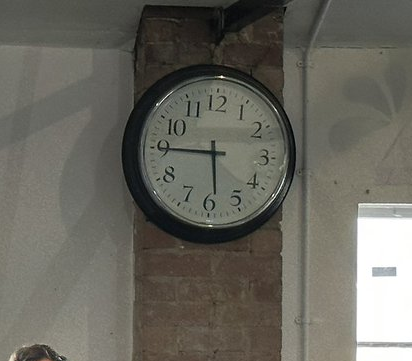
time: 5:45
